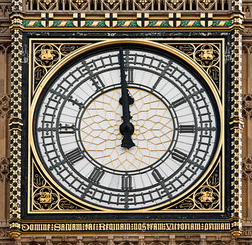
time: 11:59
